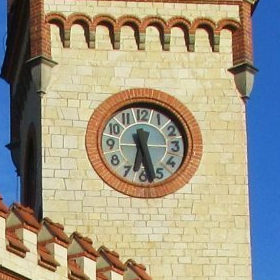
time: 6:27
